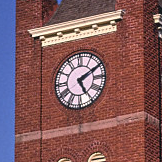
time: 5:10
